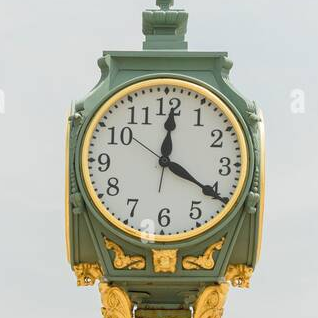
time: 12:20
